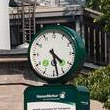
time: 4:28
